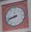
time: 8:42
